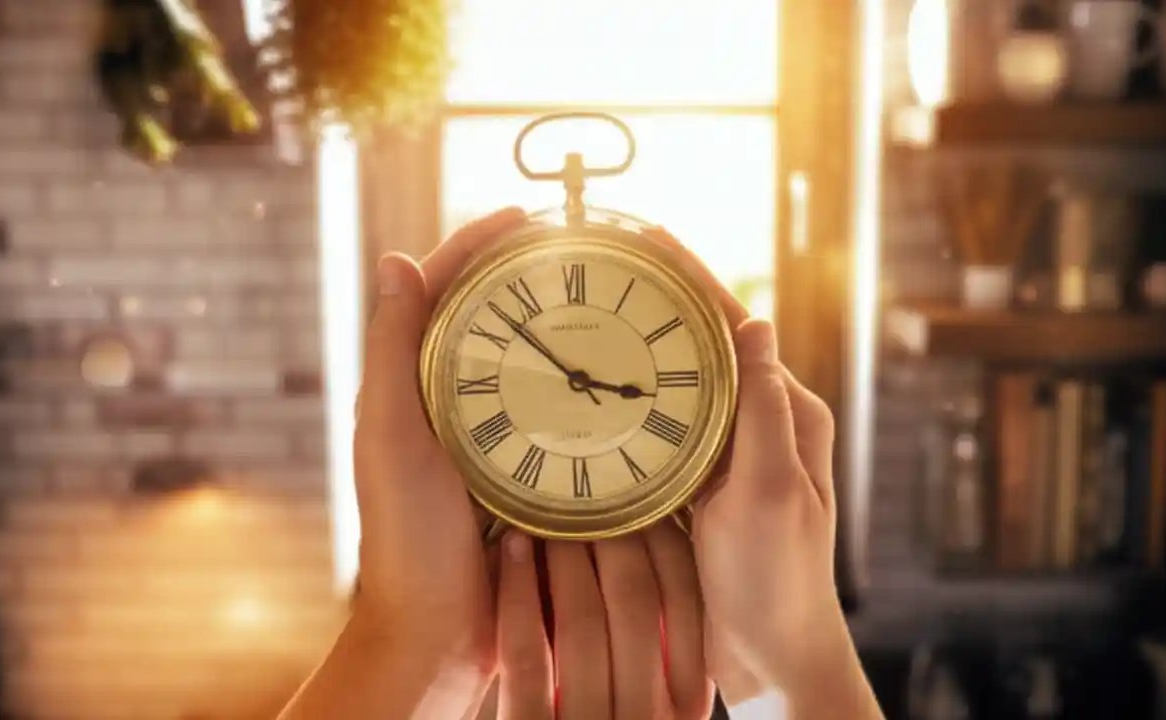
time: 3:52
